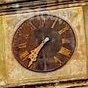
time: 7:35
